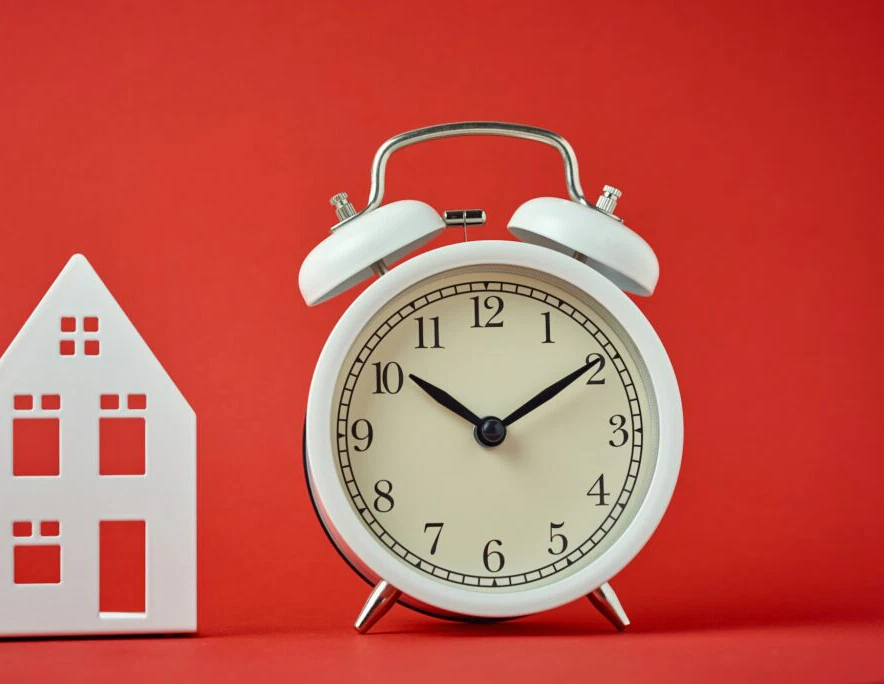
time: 10:09
